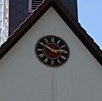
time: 2:49
